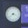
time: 3:38
